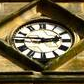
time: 2:46
